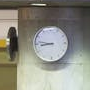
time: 8:46
